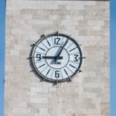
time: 9:04
